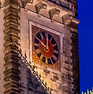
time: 10:00
